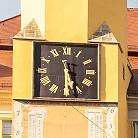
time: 5:29
